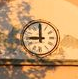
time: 8:59
